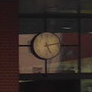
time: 5:12
